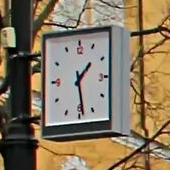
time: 1:28
